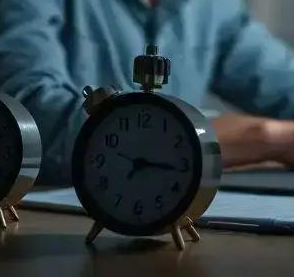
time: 7:16
